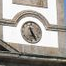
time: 11:25
